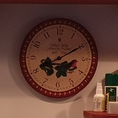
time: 8:09
